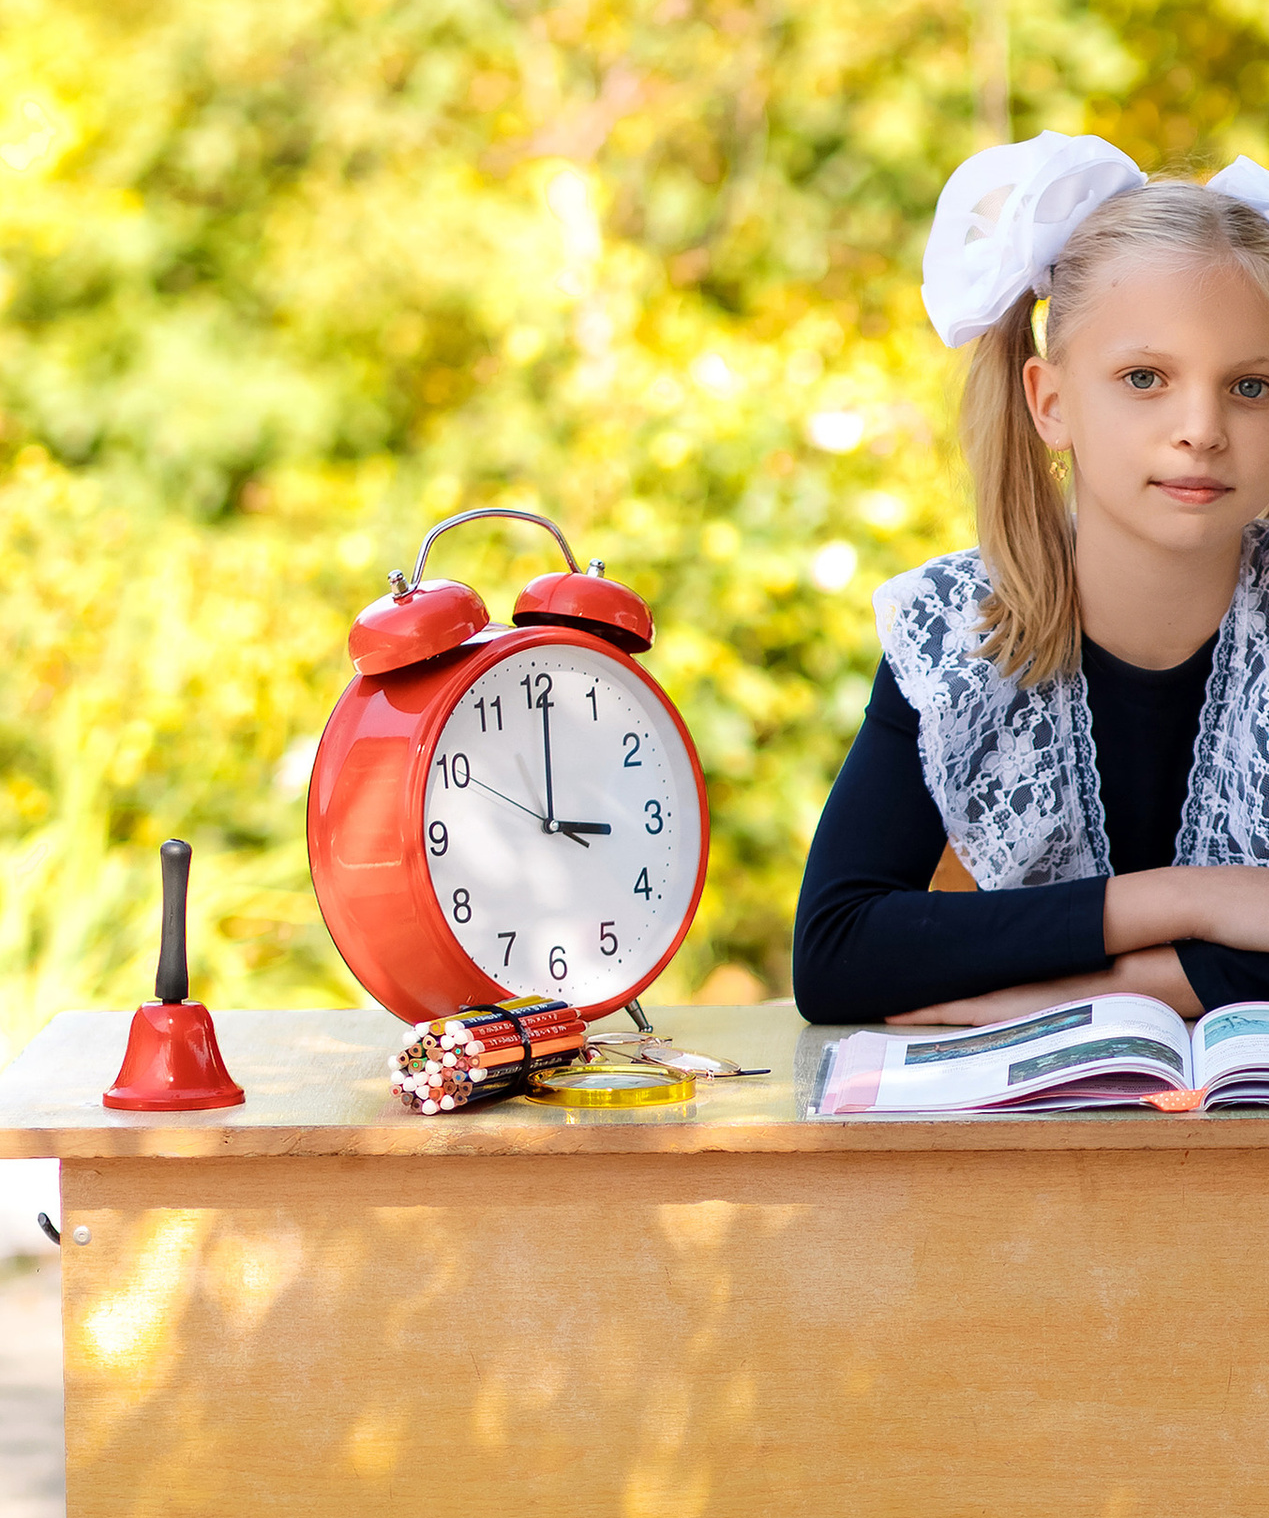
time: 3:00
